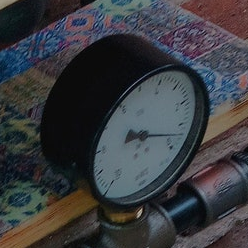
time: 9:17
